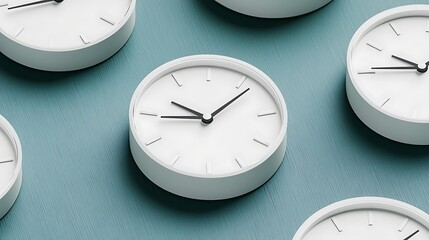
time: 10:07
